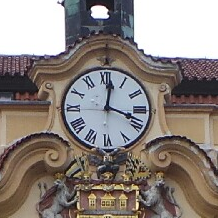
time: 12:18
